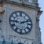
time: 9:11
